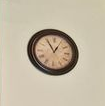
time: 12:55
